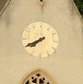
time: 7:39
